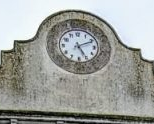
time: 5:10
